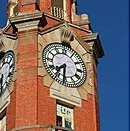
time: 7:31
